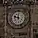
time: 11:48
